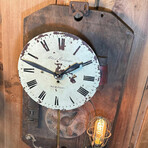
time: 1:47
